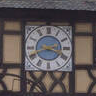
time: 3:41
